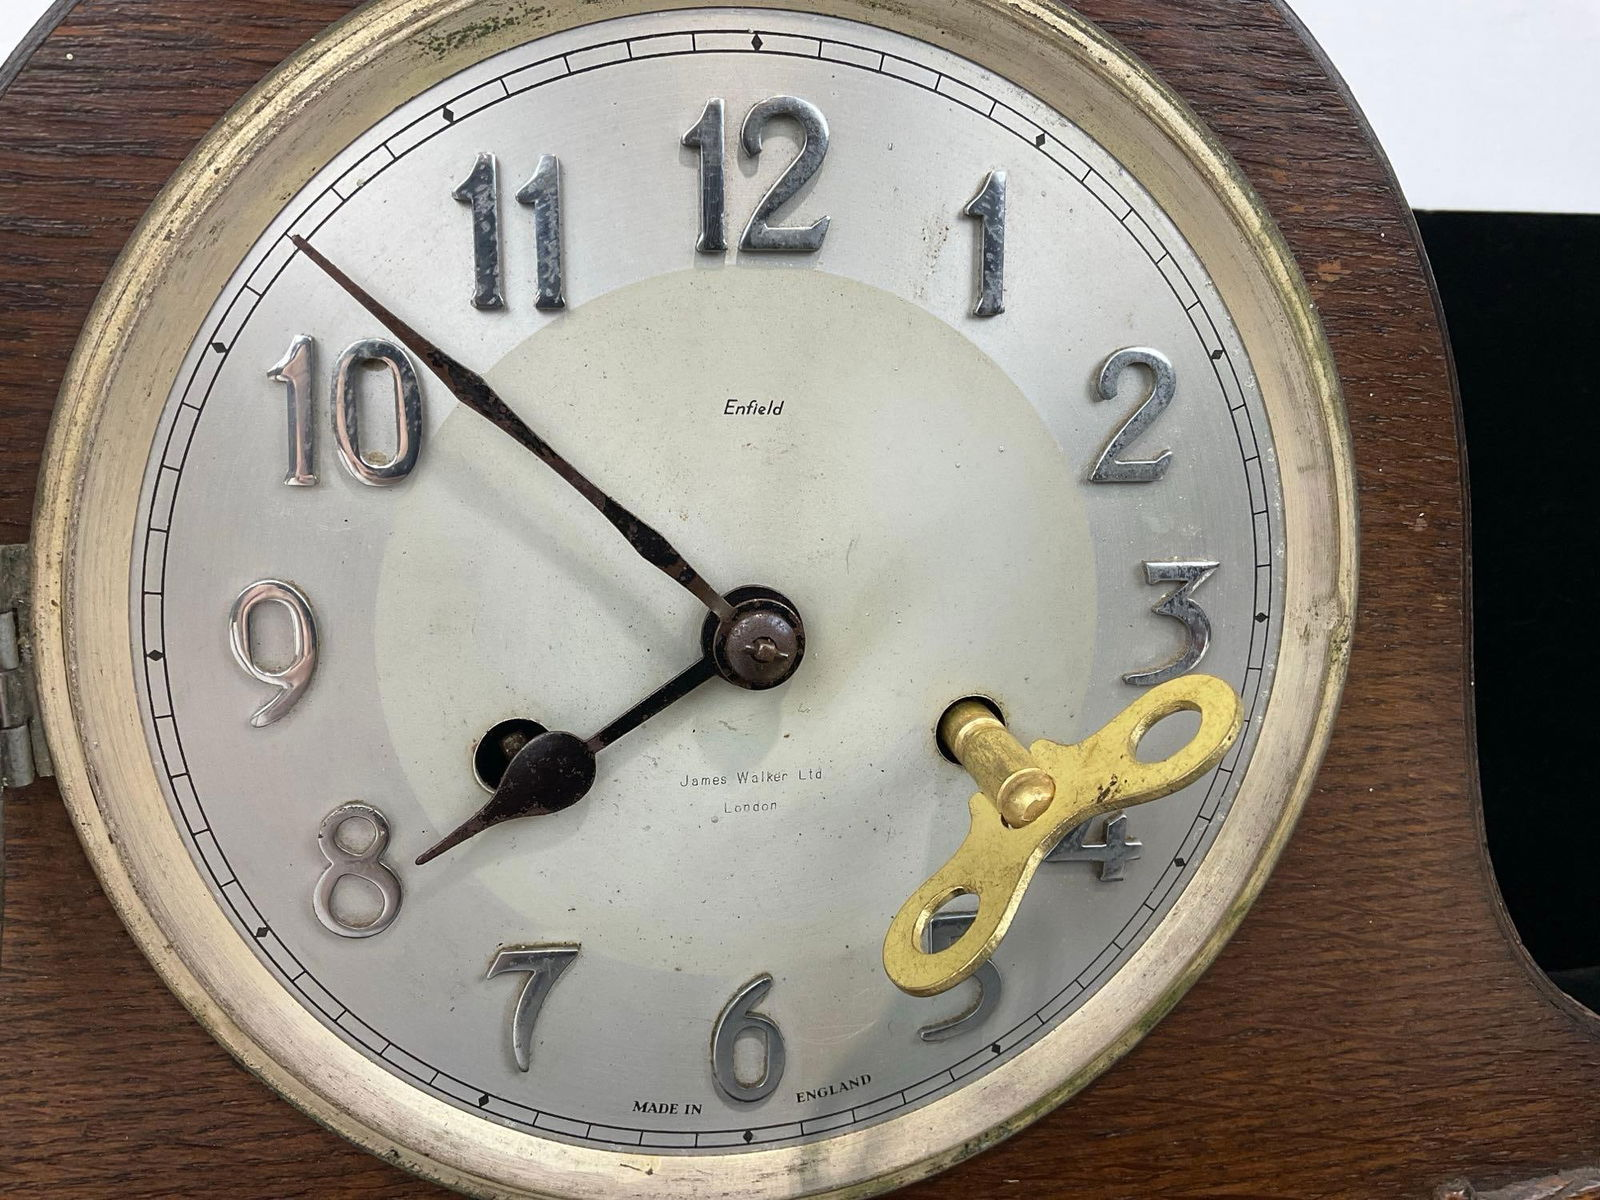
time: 7:52
